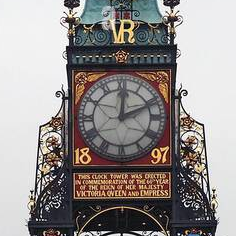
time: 12:11
